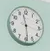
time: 11:28
